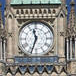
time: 11:33
